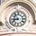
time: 8:53
